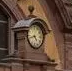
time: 4:42
